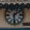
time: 1:30
